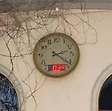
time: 2:21
